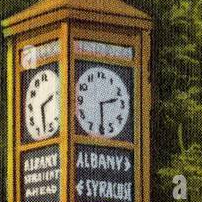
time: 2:29
